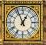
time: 12:56
